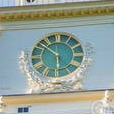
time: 5:51
